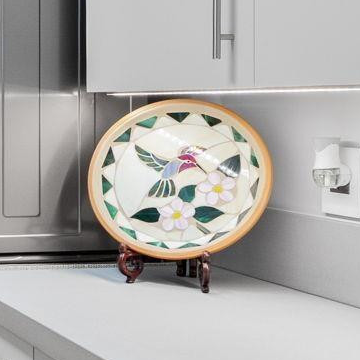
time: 3:52
